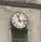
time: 11:13
